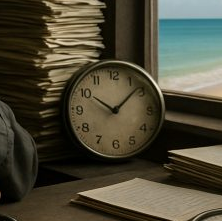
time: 10:07
